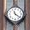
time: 11:21
